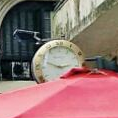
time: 2:48
